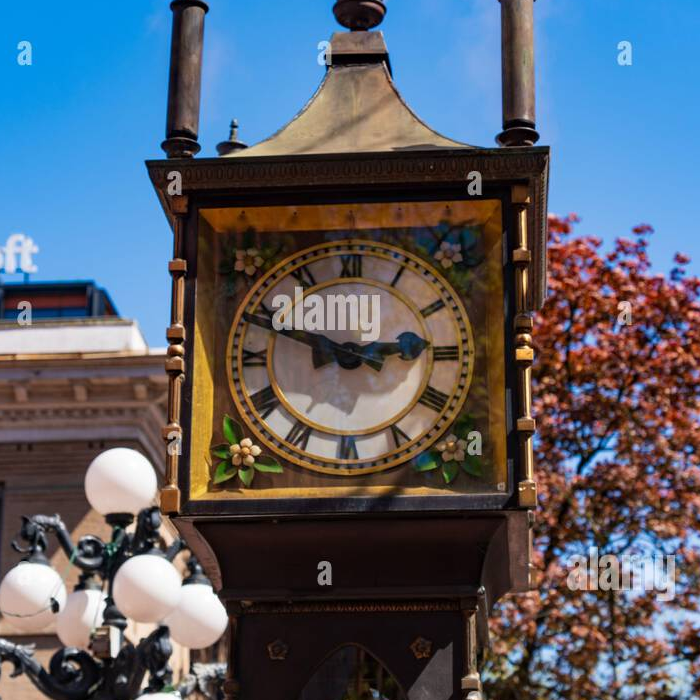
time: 2:48
